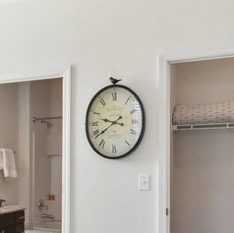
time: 9:39
